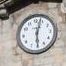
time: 6:03
